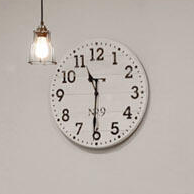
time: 11:30
